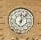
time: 12:07
